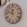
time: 11:46
